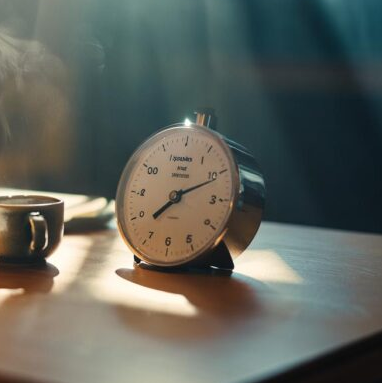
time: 7:10
